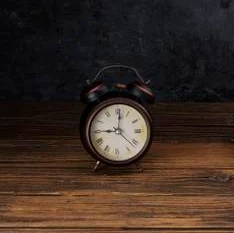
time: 9:01
